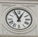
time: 12:55
